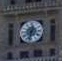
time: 12:32
